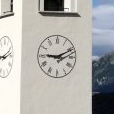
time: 9:10
